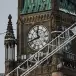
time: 11:42
